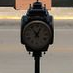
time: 12:53
